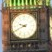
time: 9:41
